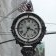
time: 3:34
